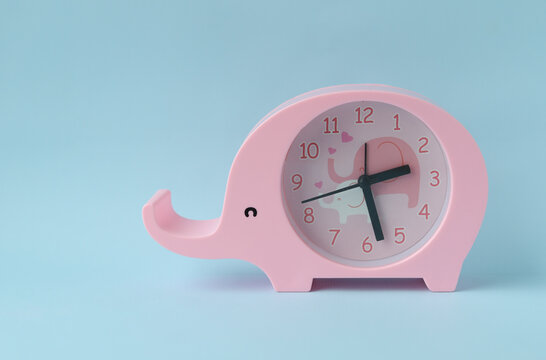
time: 2:27
